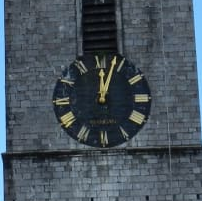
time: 12:03
